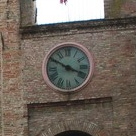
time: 3:50
